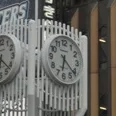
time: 6:21
